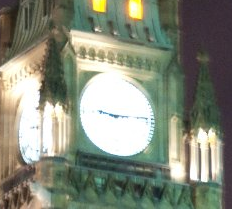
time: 9:13
